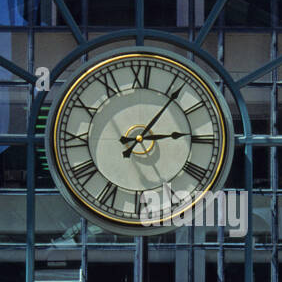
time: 3:06
